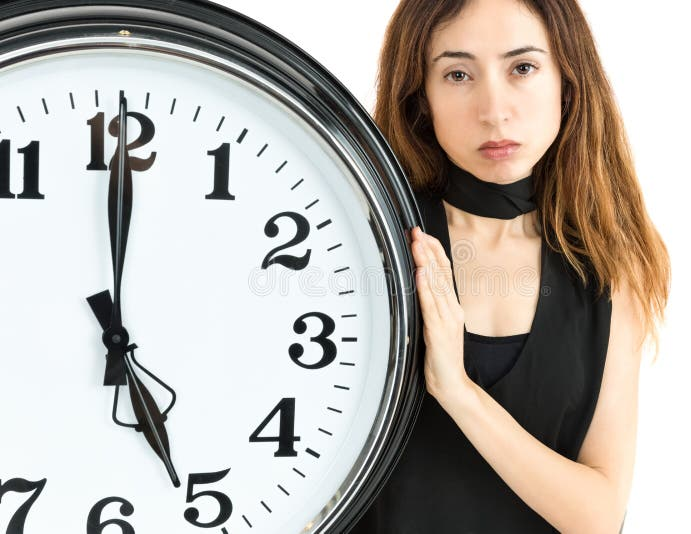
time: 5:00
